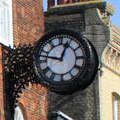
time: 12:47
